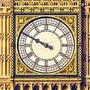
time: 9:49
